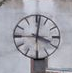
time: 4:01
